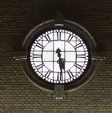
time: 5:29
